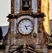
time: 5:12
